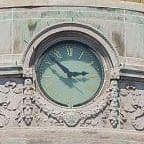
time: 2:52
